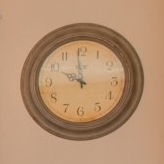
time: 9:59
